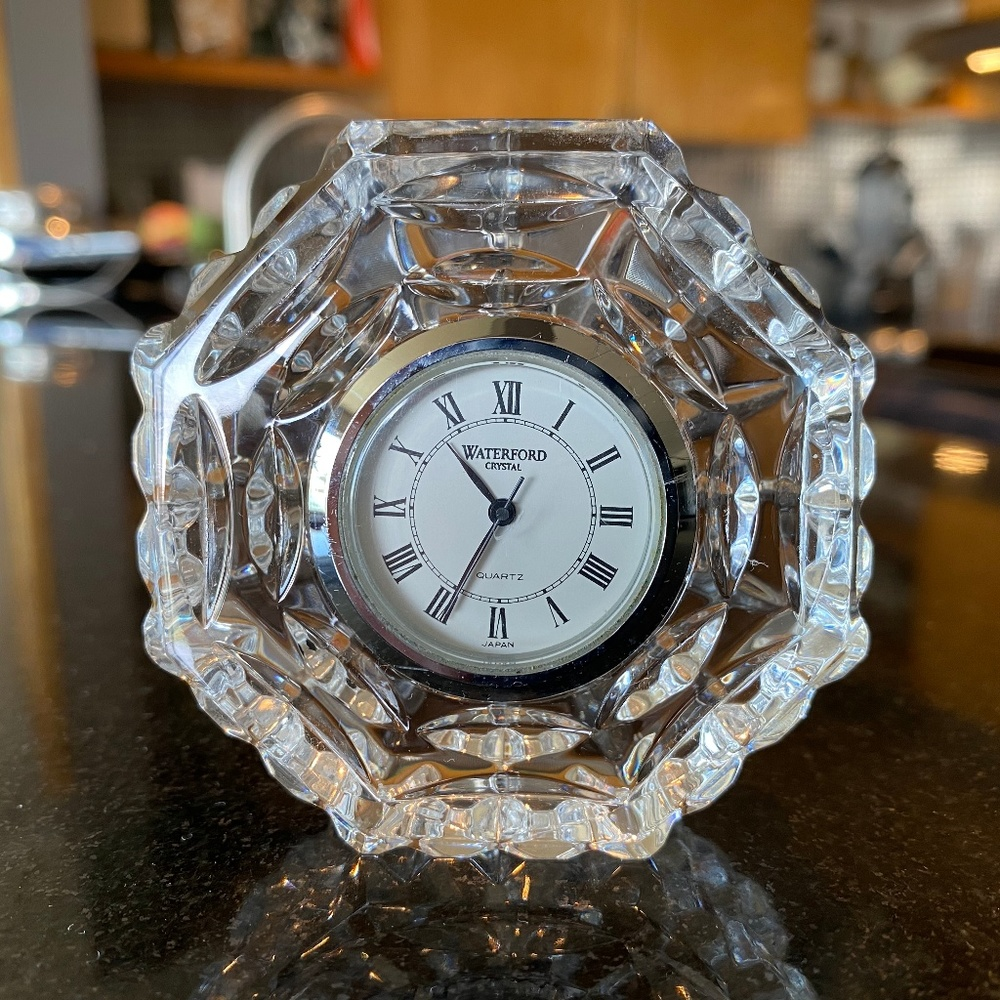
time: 10:34
